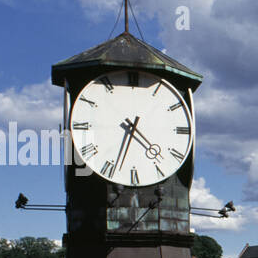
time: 4:33
